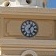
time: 1:27
